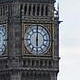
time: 6:00
